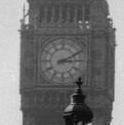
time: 3:10
